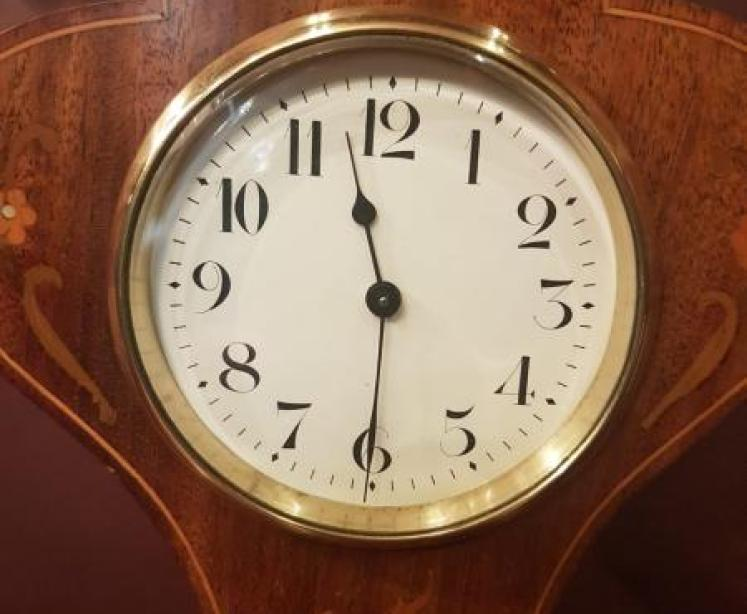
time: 11:30
